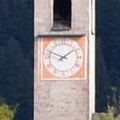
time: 1:49
